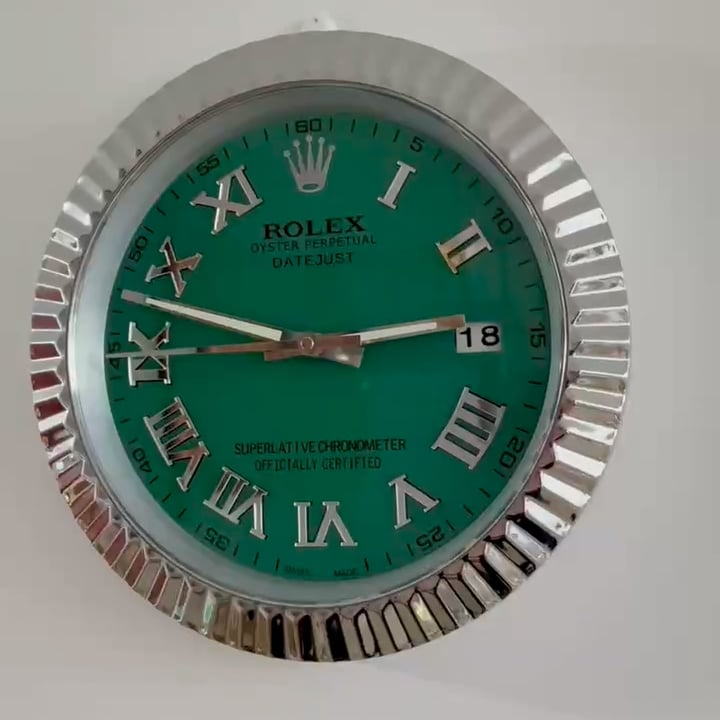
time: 2:47
